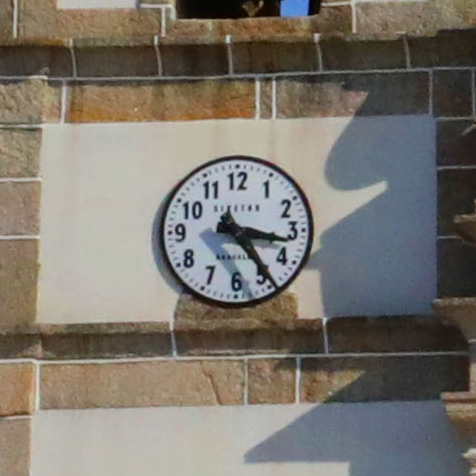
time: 3:24
